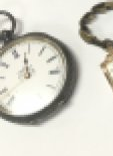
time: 11:37
